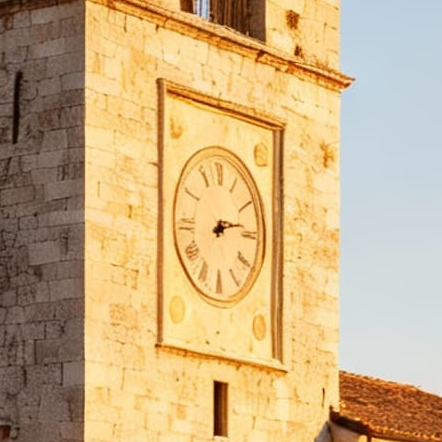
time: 2:13
